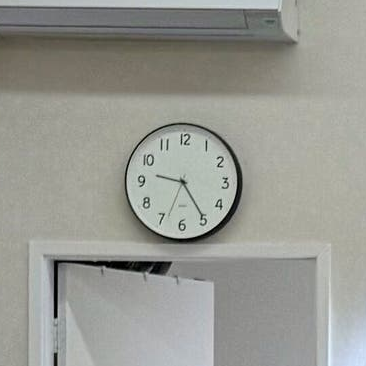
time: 9:24
